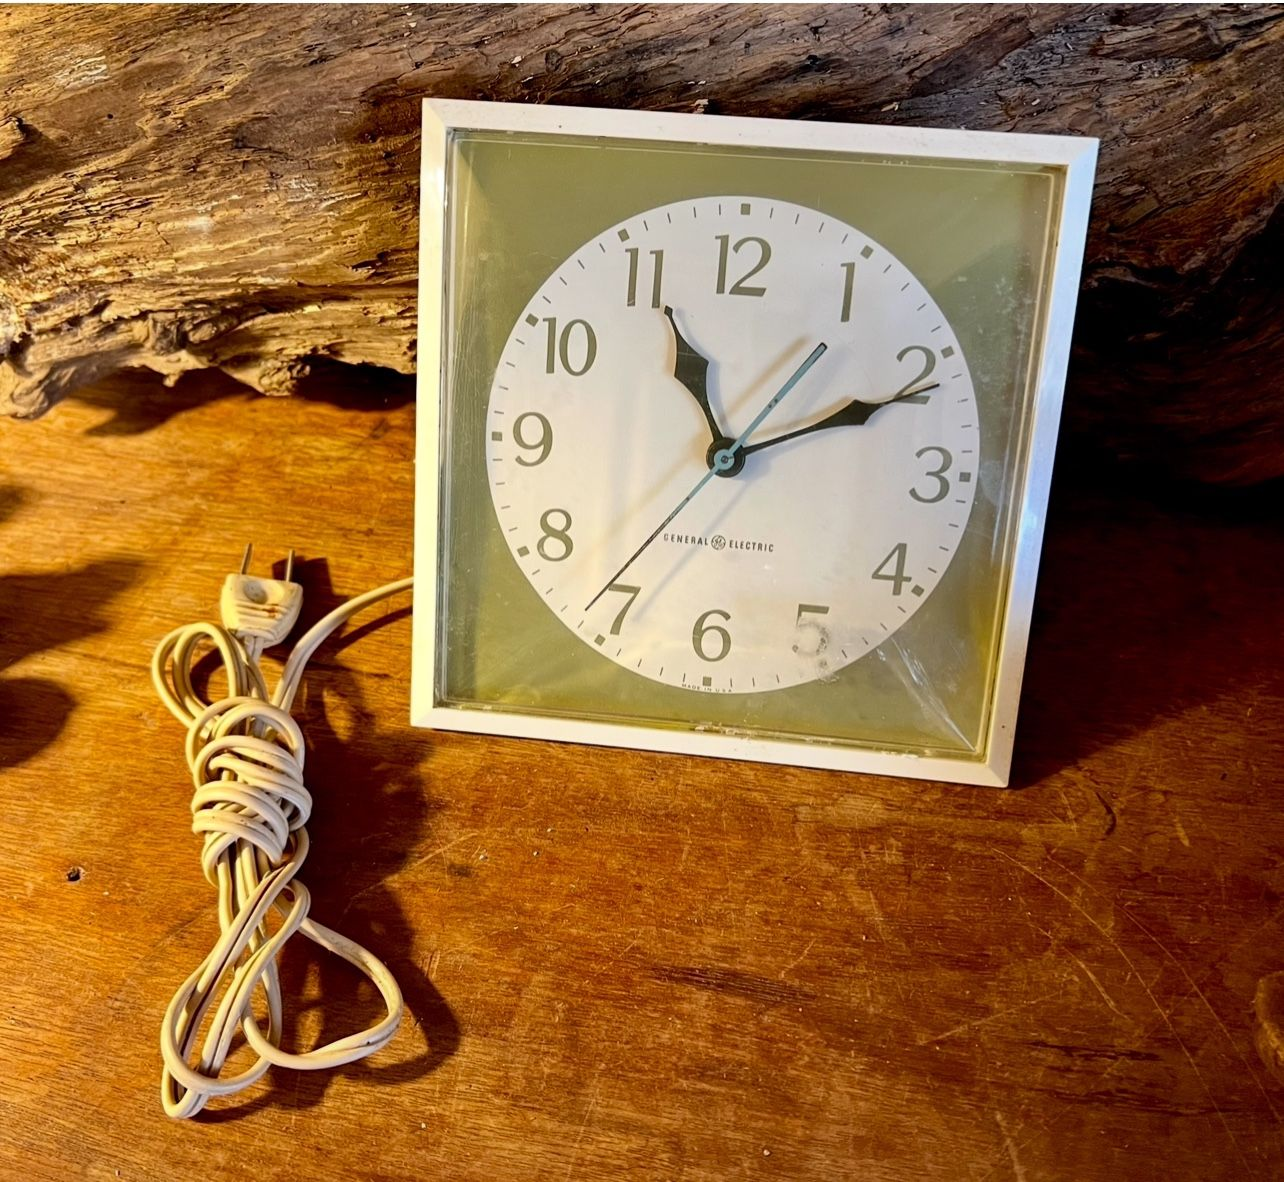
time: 11:10
